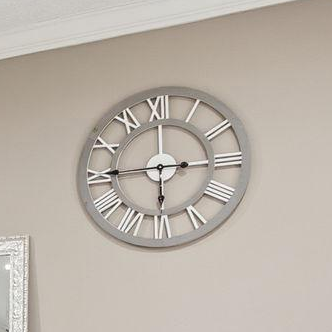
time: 6:14
